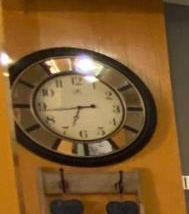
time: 6:43
